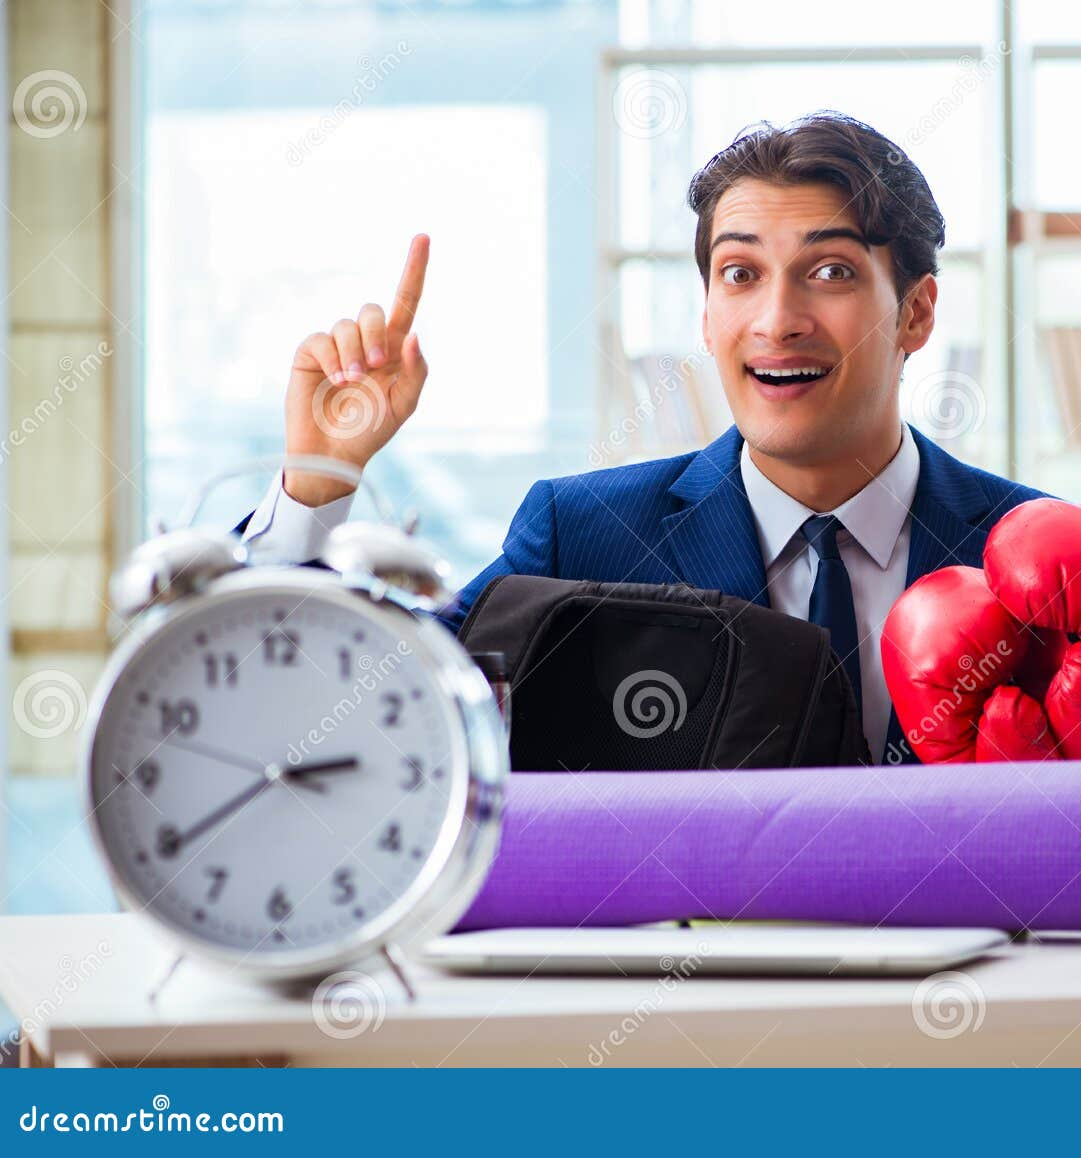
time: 2:39
